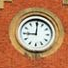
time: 9:00
